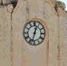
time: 12:32
